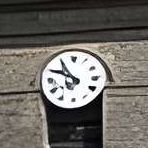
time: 9:54
